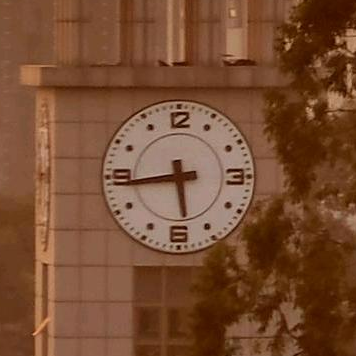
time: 5:43
